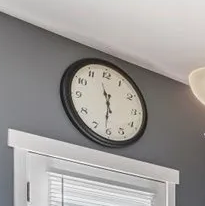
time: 11:31
